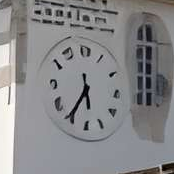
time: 5:35
